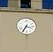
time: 3:35
